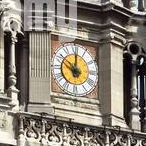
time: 10:00
